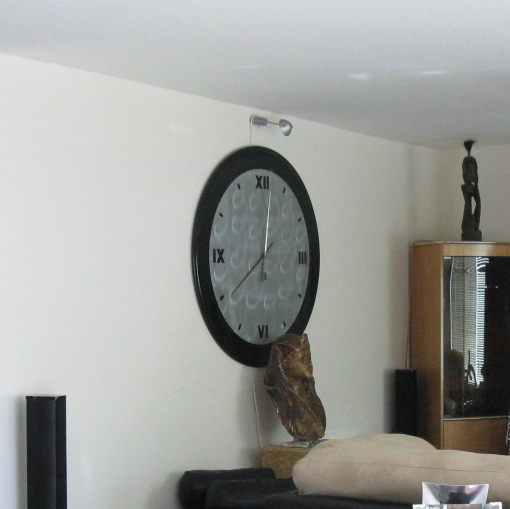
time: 8:01
